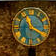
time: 11:19
